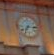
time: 7:15
